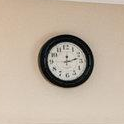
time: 12:12
